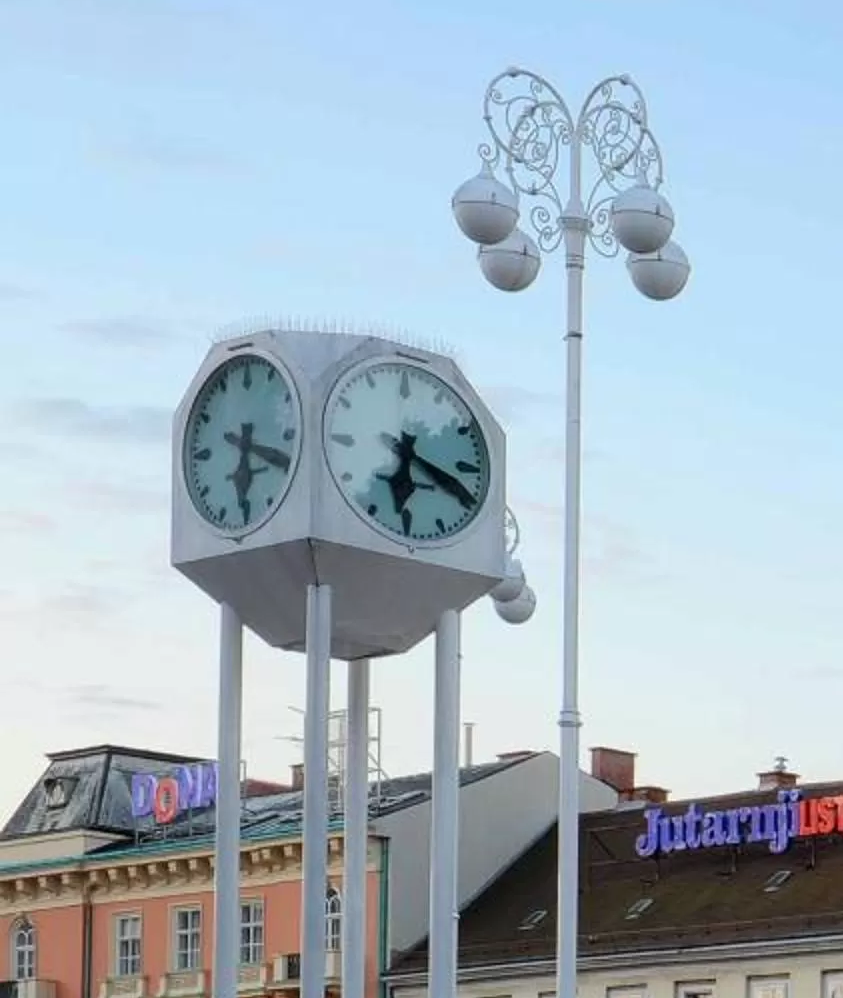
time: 6:18
